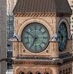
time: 6:50
